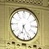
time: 6:25
